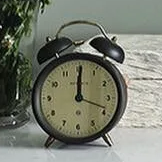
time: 12:00
